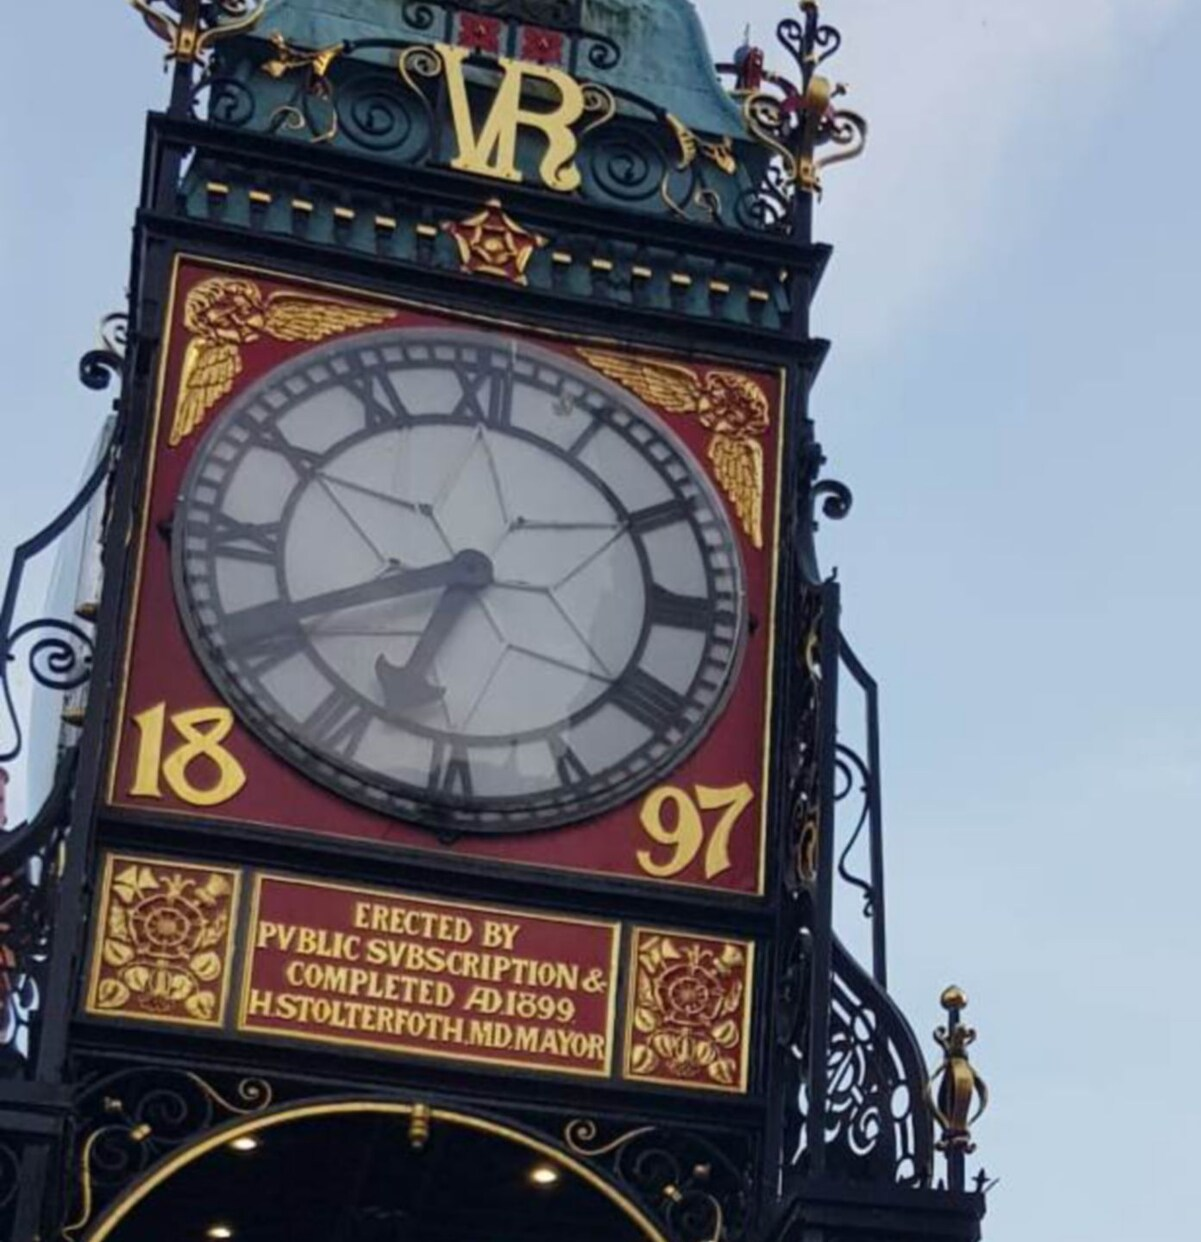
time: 6:40
